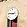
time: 2:46
